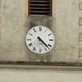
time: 4:22
